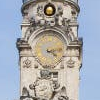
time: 4:12
